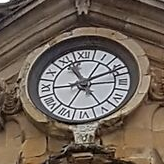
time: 11:11
